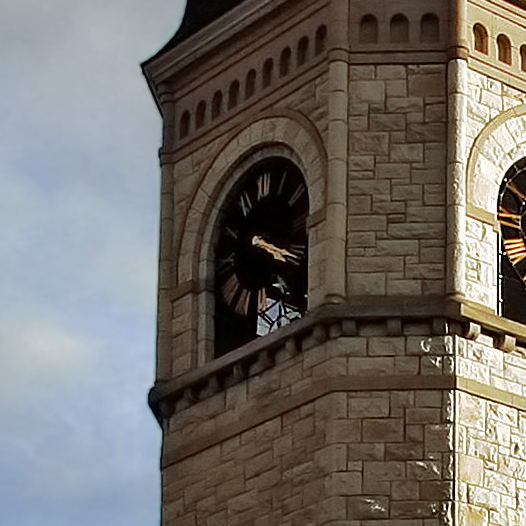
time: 4:20
